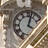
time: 4:02
